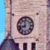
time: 11:42
